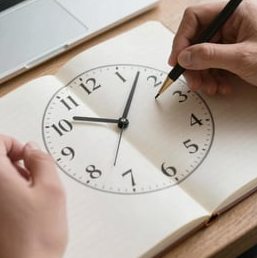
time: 10:07
